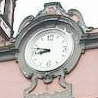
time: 8:47
